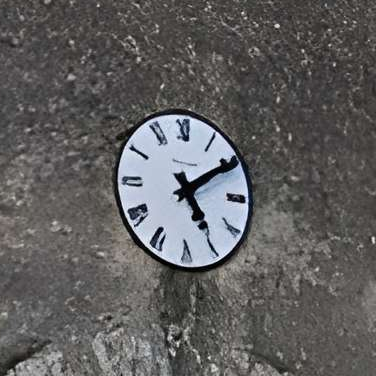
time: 5:09
